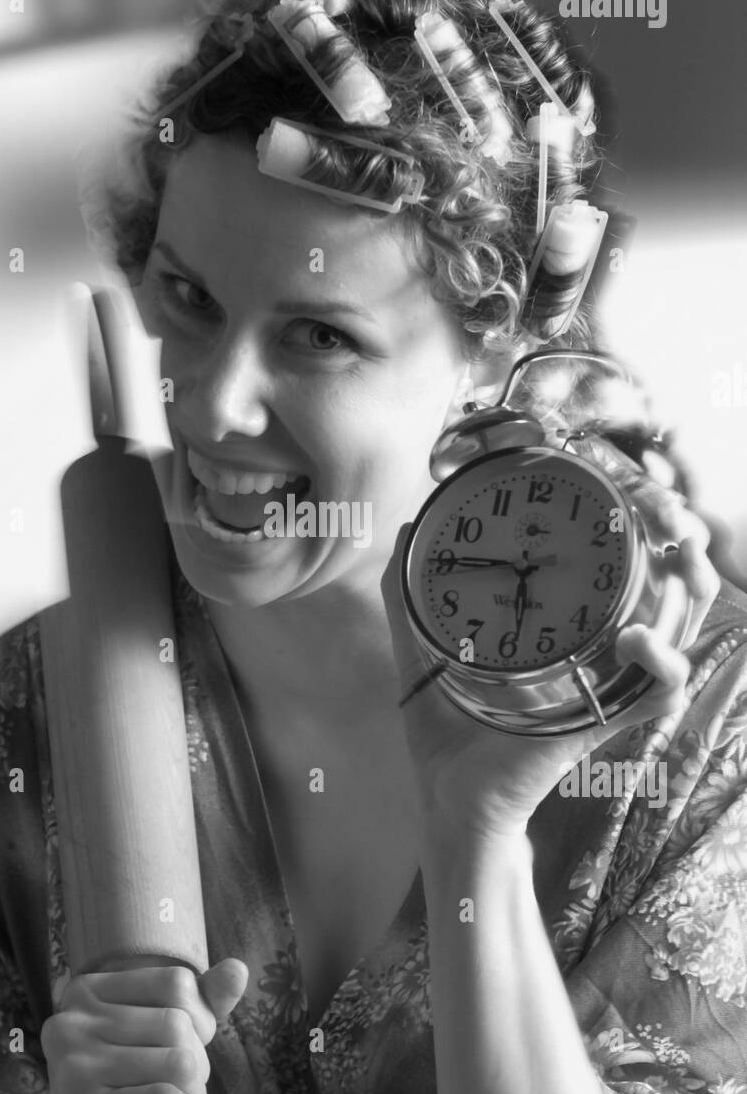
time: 5:45
